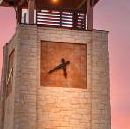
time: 5:40
